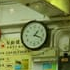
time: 1:18
